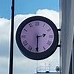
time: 2:29
